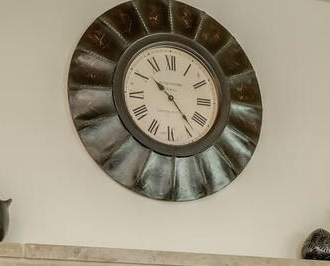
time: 10:23
